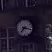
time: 7:17
